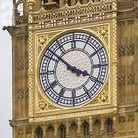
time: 3:51
